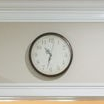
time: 10:32
